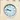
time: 9:45
